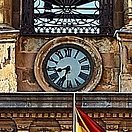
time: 8:33
